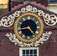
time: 4:42
